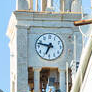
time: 6:47
